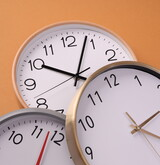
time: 10:03
